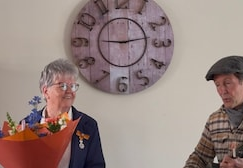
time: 9:13
